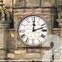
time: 12:12
